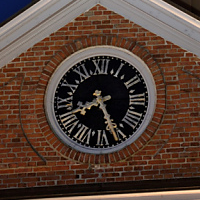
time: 8:26
